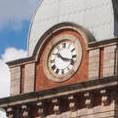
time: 10:17
